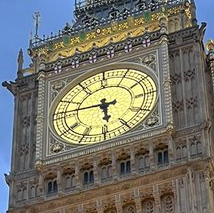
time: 5:46
